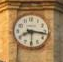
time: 8:16
